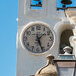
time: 1:26
